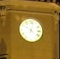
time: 10:02
